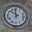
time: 11:51
